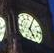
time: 5:04
